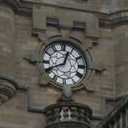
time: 12:40
